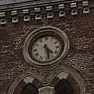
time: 4:27
